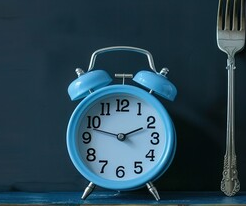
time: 1:47
